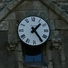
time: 1:24
